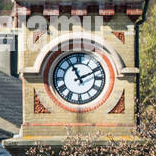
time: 11:11
